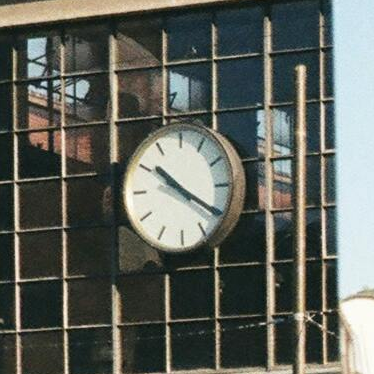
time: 10:20
